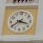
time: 3:39
